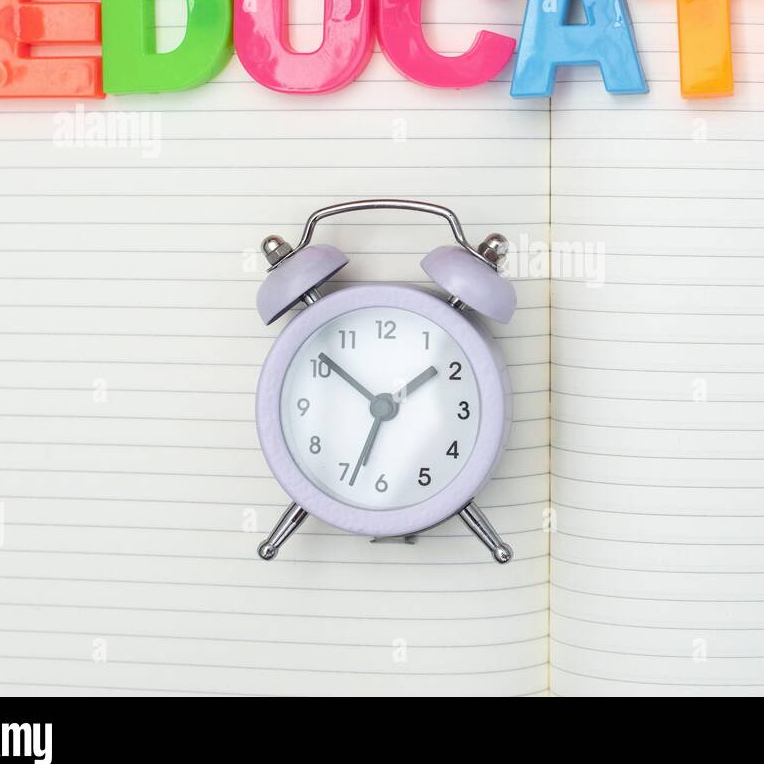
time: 1:51
